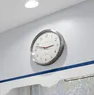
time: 2:48
